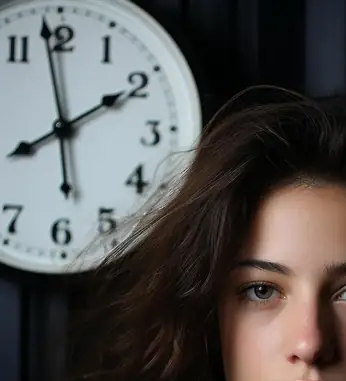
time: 1:58
